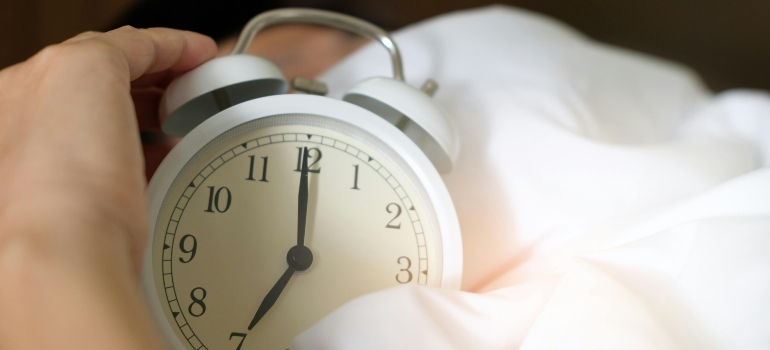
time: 7:00
